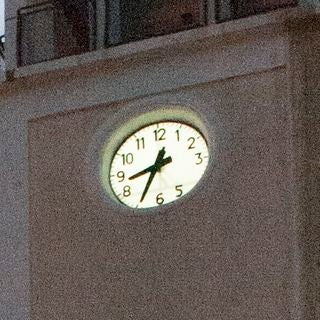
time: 8:34
